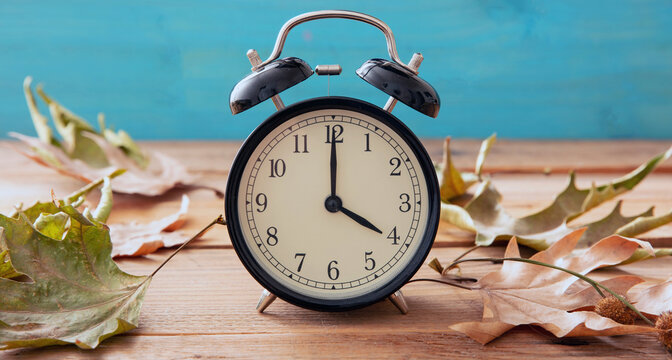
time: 4:00
